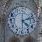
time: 4:12
